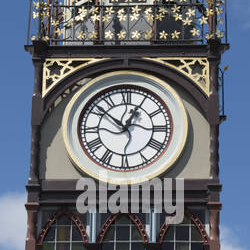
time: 12:52
